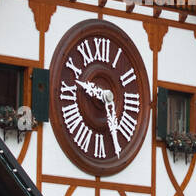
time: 9:25
